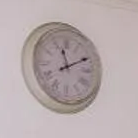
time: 11:10
